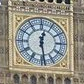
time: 12:28
